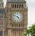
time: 4:49
